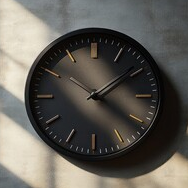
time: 4:08
